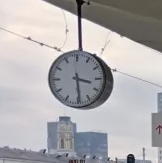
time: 3:29
